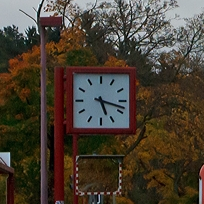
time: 5:18
